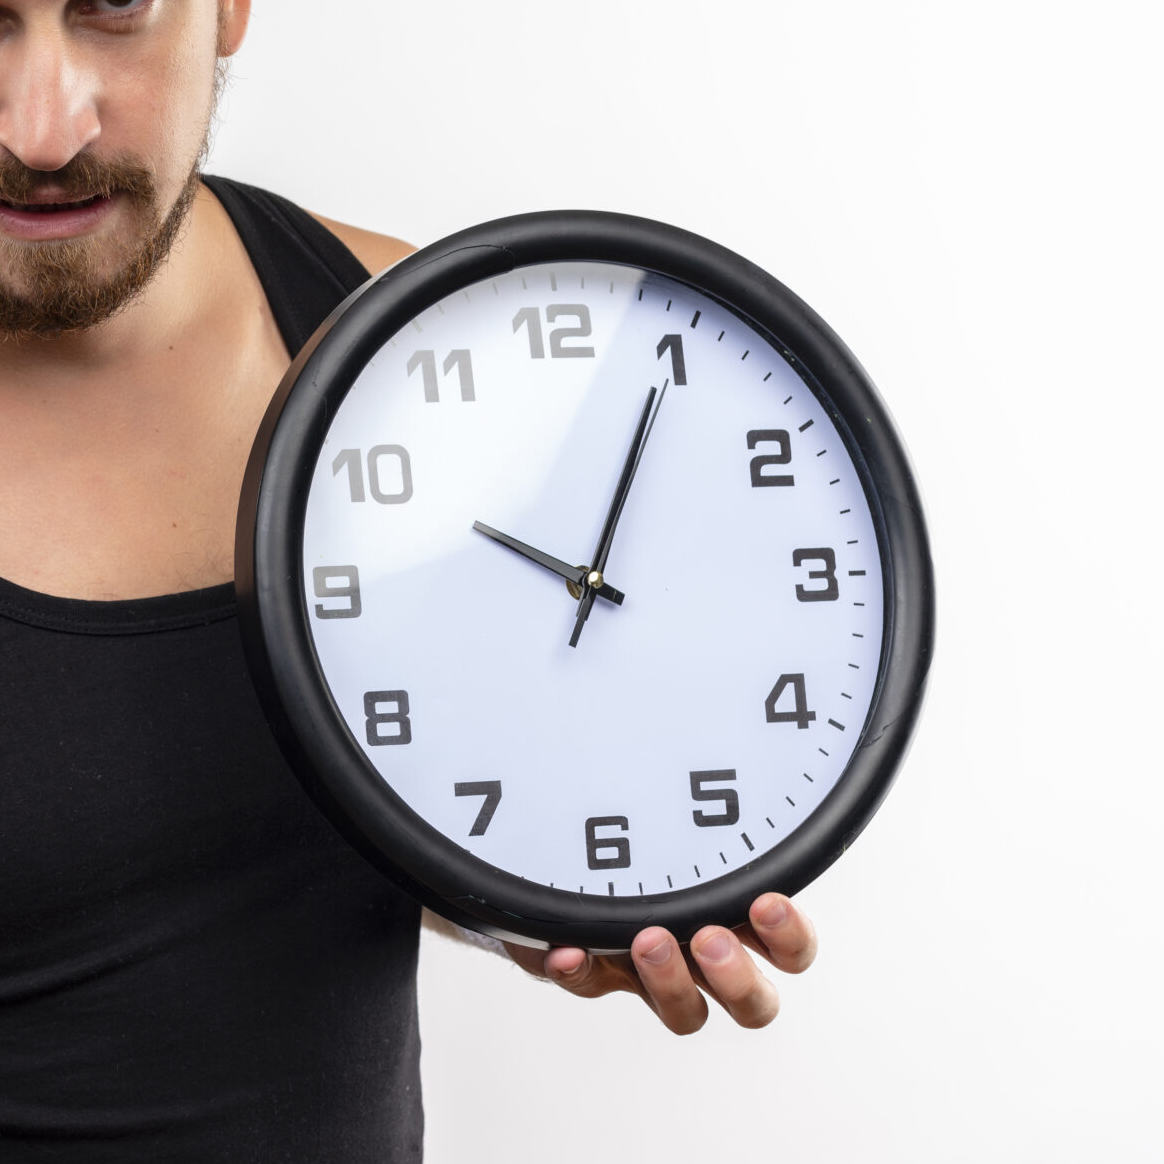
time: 10:04
